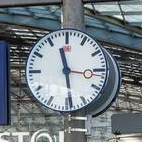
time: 11:28
